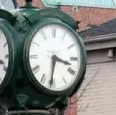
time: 3:31
